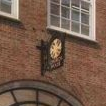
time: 7:00
